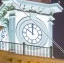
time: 10:00
